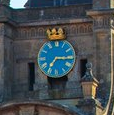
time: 7:15
